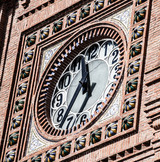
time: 11:35
